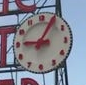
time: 9:05
